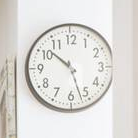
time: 10:26
